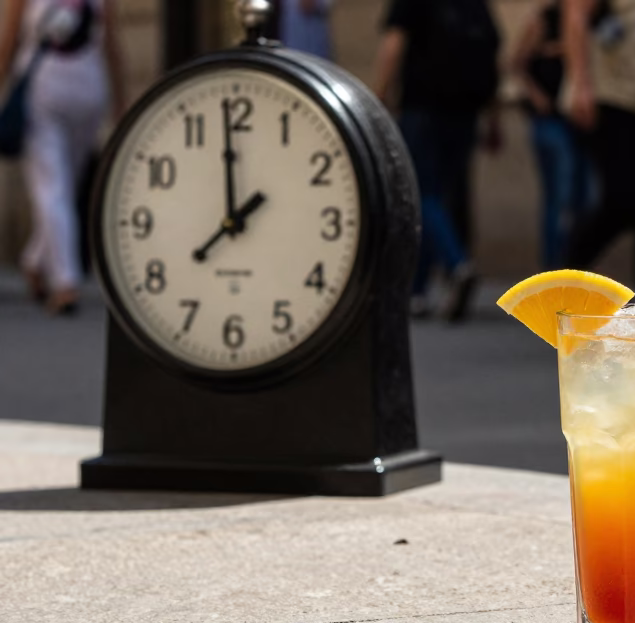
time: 7:59
